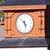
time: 10:28
